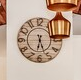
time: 6:26
